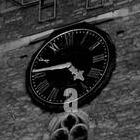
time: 4:46
